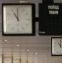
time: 10:59
